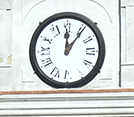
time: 12:06
